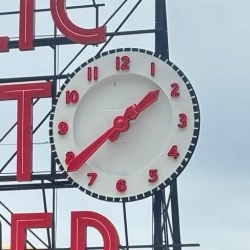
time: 1:39
